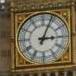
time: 3:04
